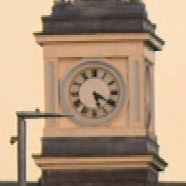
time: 5:19
